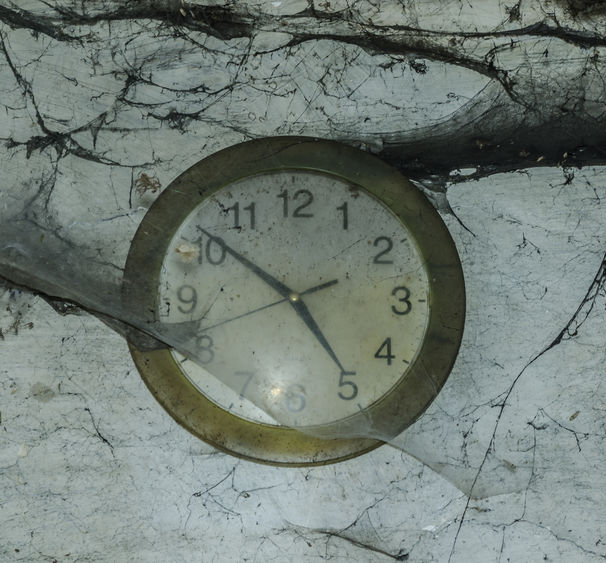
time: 4:51
